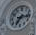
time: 7:15
